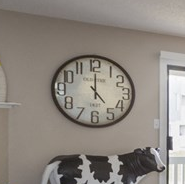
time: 5:00
